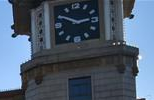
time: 2:50
